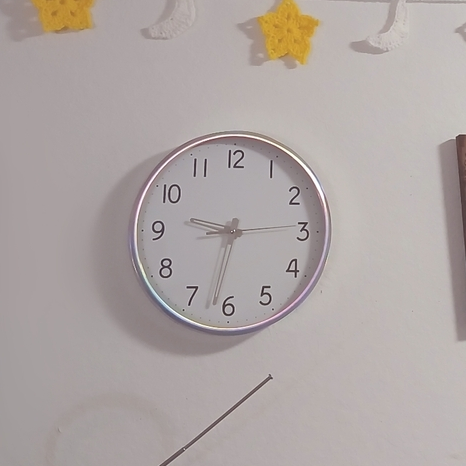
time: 9:32
